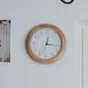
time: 12:16
